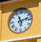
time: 11:12
